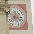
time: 12:16
